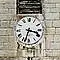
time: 3:33
